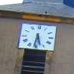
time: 5:31
